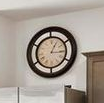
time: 3:04
